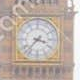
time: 3:37
